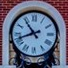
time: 10:42
